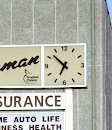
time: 6:52
